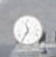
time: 11:35
